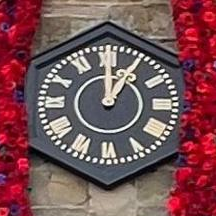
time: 1:00
